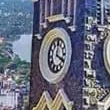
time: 12:19
